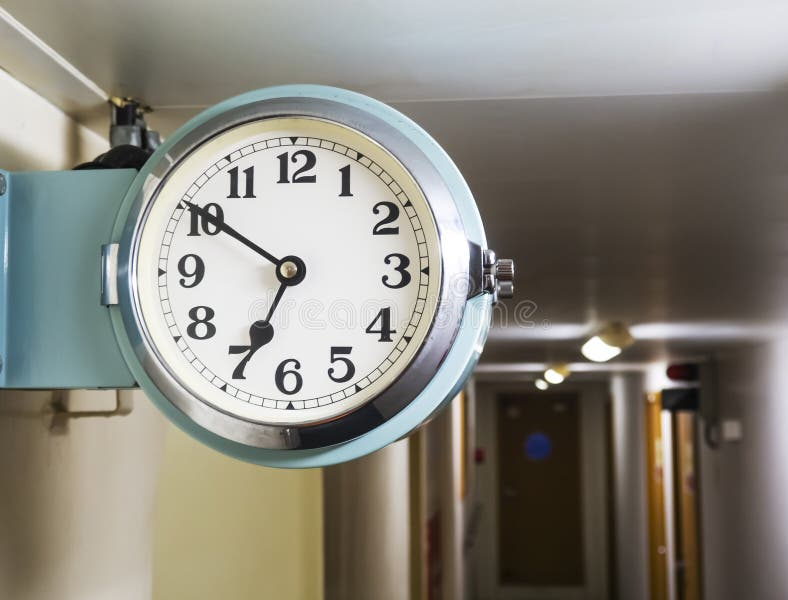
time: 6:50
